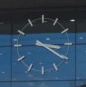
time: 3:20
